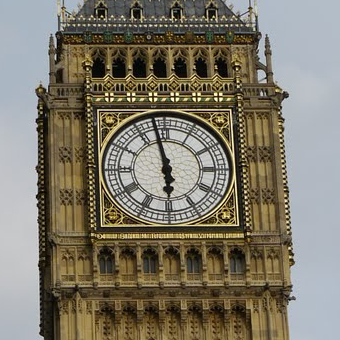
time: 5:57
